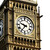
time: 9:36
